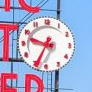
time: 9:34
